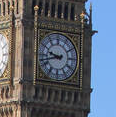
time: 9:42
